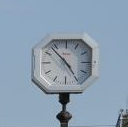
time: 4:53
